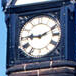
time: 9:11
